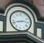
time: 2:42
